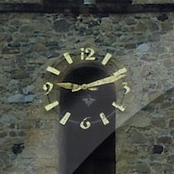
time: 9:11
